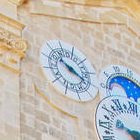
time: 10:20
